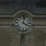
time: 4:02
